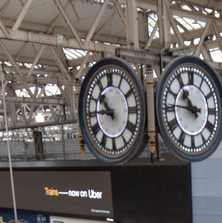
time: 10:45
